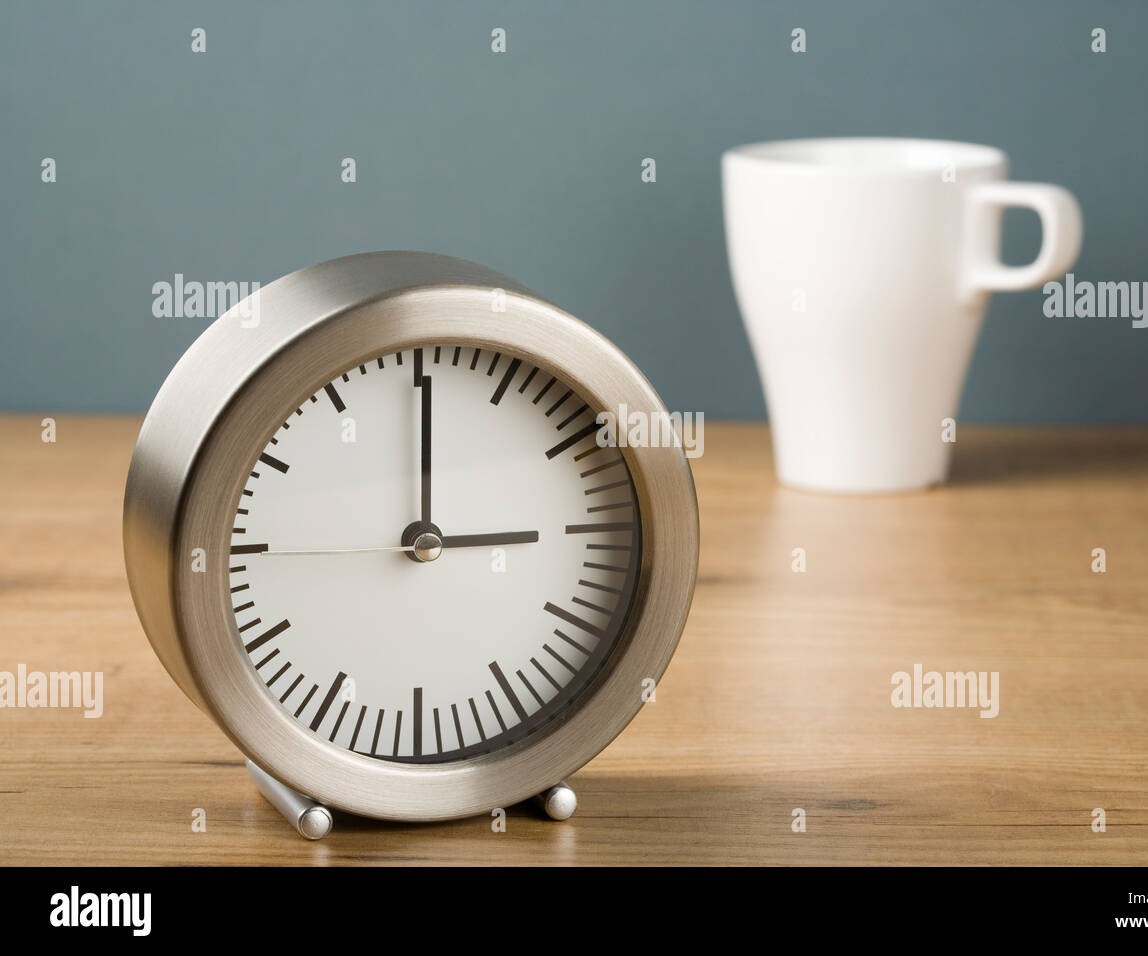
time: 3:00
